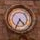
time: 4:34
